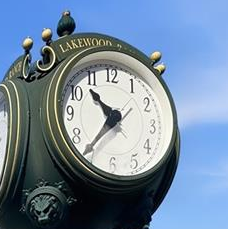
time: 10:36
